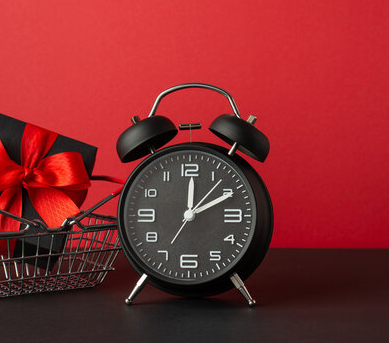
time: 12:10
